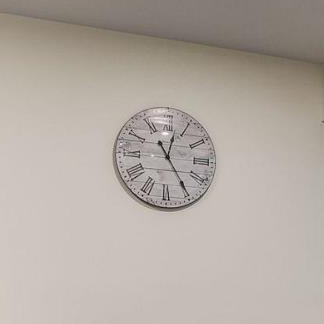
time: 12:24
